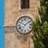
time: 1:50
